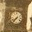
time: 7:37
